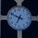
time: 6:49
